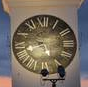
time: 8:26
